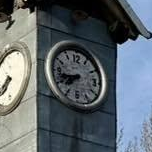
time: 7:42
